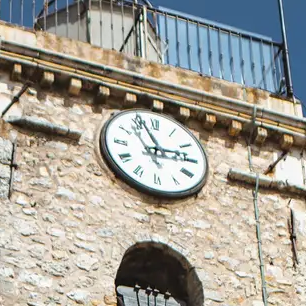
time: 2:56
